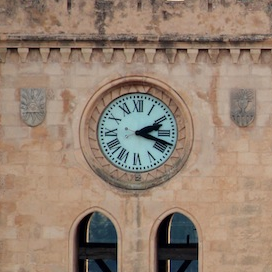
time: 2:18
